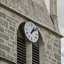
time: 1:08
